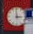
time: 2:59
